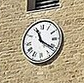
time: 11:20
